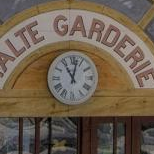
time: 11:02
